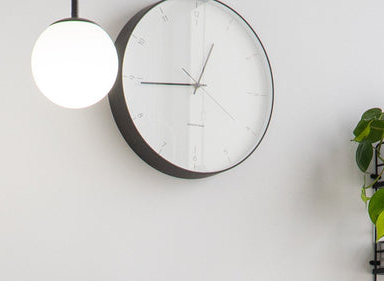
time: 12:44
